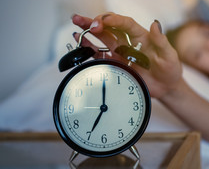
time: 7:00
